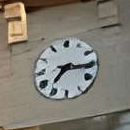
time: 7:15
